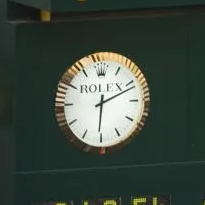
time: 6:11
